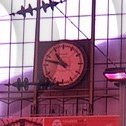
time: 10:47
